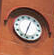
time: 12:32
